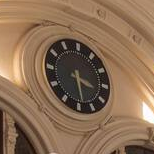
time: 3:28
